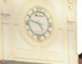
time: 4:47
